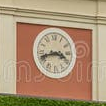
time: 3:42
